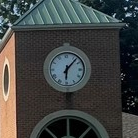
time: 6:07
